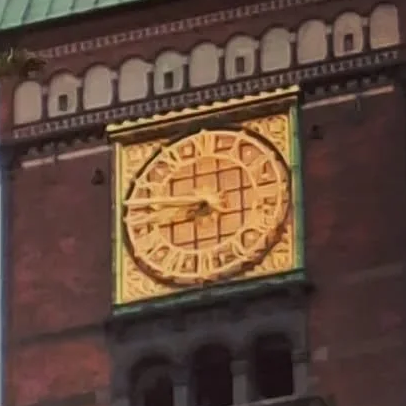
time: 8:46
